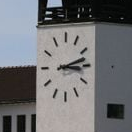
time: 3:12
